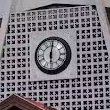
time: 6:01
